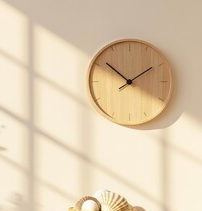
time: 1:51
